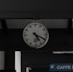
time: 5:19
